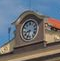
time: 8:33
